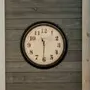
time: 11:30
